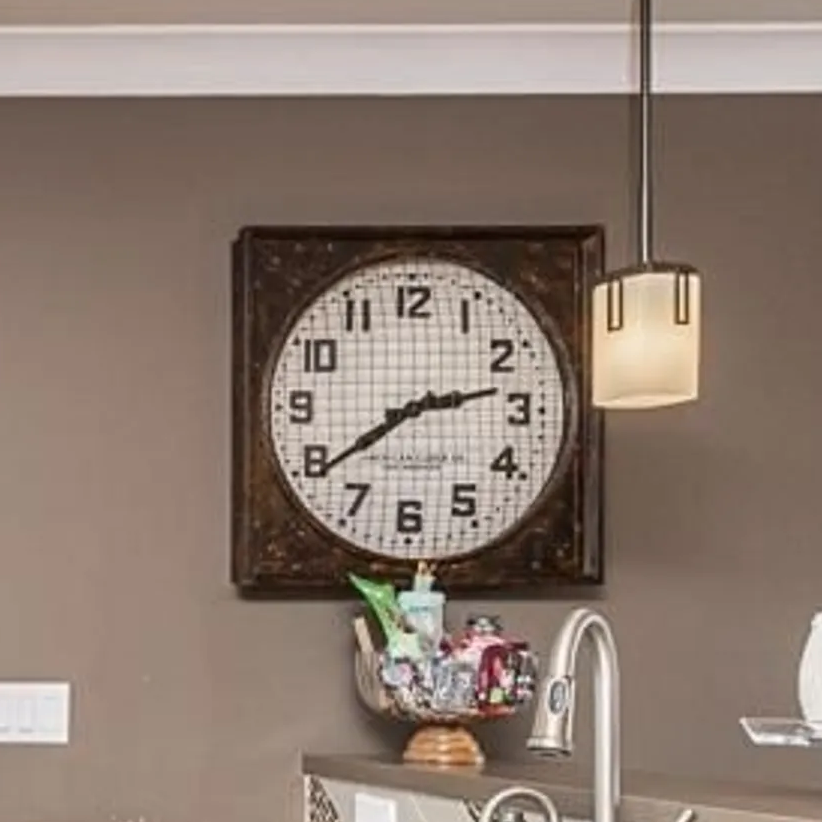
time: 2:39
